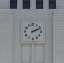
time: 2:11
